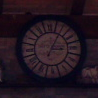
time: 3:04
